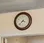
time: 3:37
